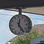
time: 12:24
